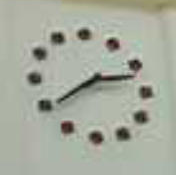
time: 2:39
